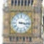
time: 3:16
